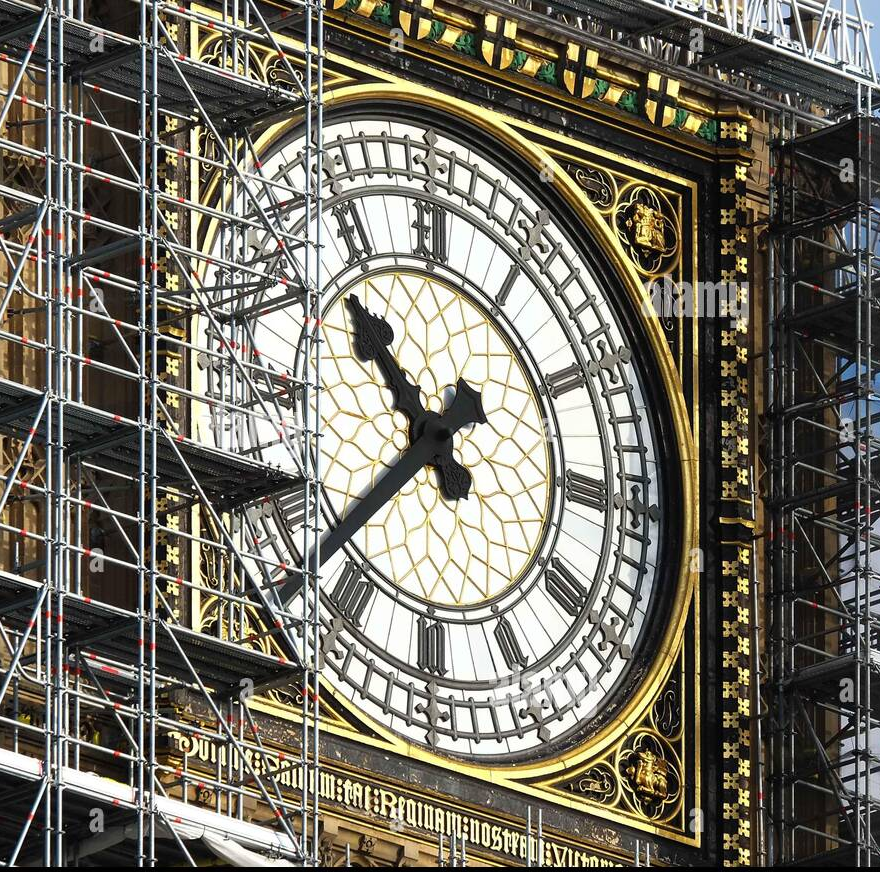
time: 10:37
